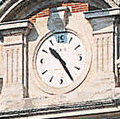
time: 10:24
